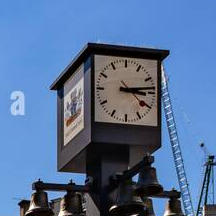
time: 3:13
